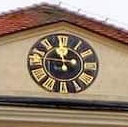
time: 11:46
